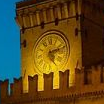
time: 5:11
